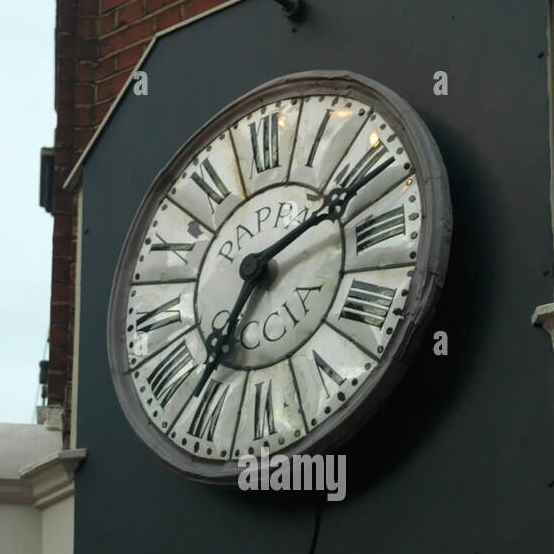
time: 7:11
